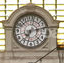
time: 7:12
